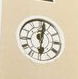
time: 6:01
